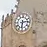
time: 6:13
